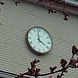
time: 3:58
